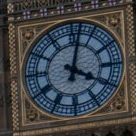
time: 4:02
